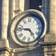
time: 4:46
